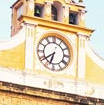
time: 6:38
